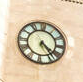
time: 4:23
